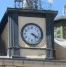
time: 4:19
